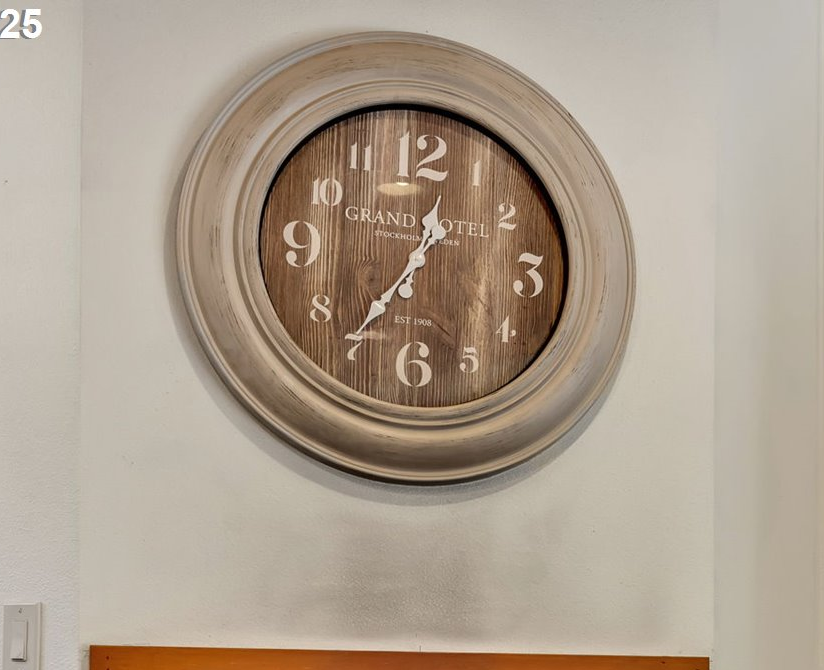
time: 12:36
